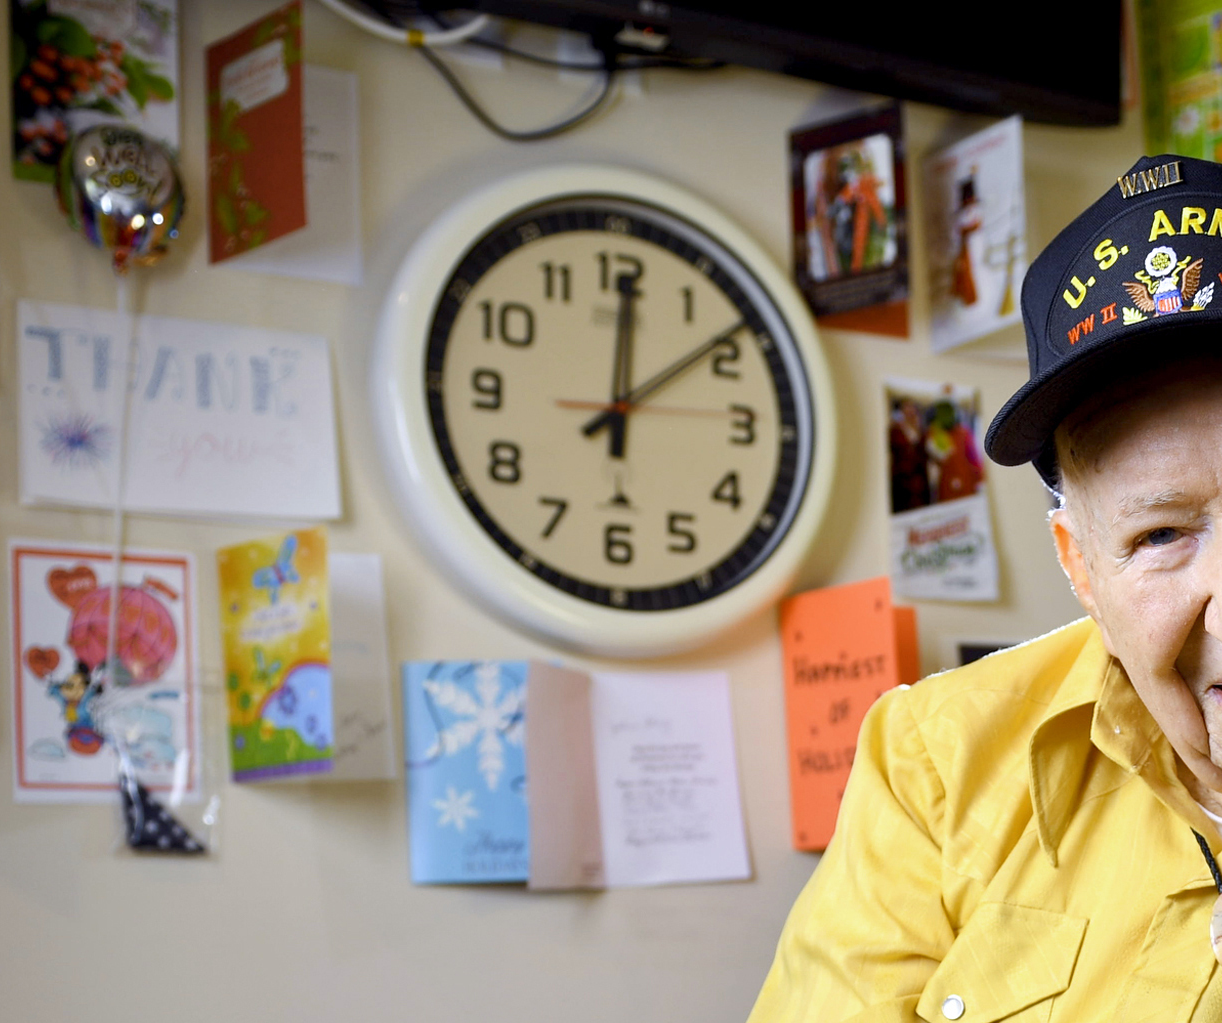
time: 12:08
